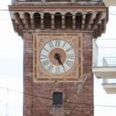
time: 5:24
